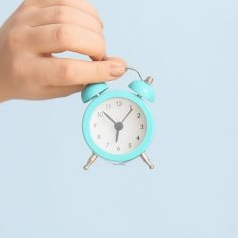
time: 6:06
